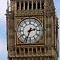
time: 2:33
